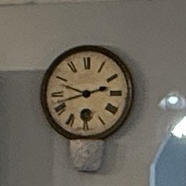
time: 9:42
